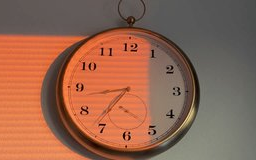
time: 8:36
